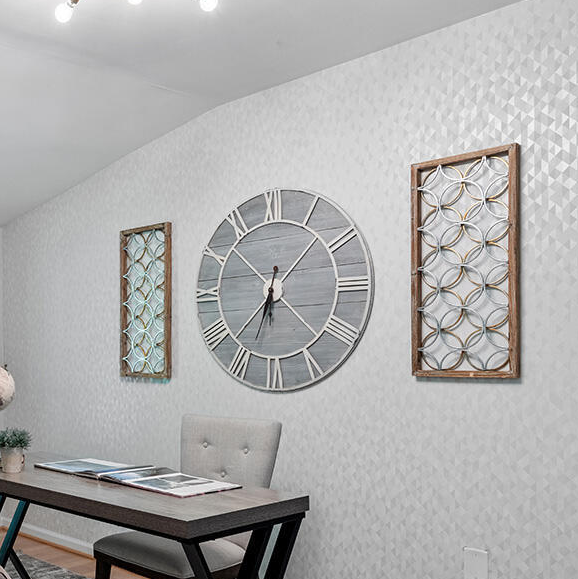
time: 6:37
